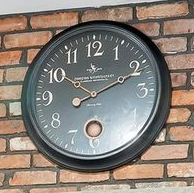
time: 10:11
